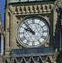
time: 9:53
